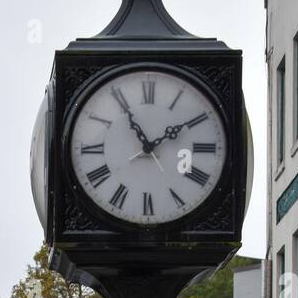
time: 1:54
